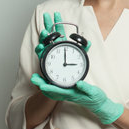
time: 2:59
